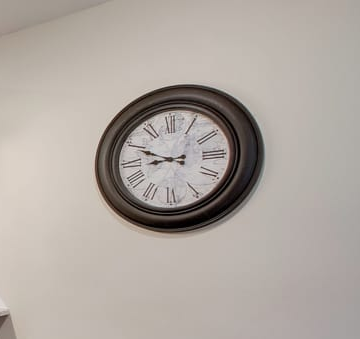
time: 8:49
